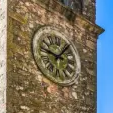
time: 9:07
